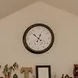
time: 12:52
